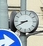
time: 8:40
